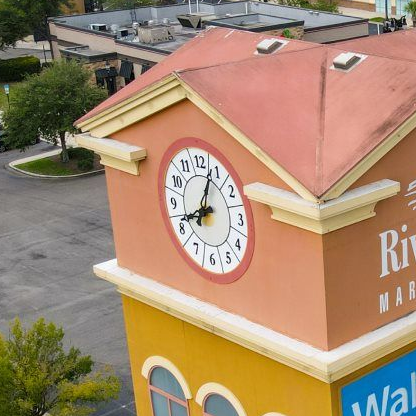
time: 8:03
